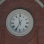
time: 11:34
